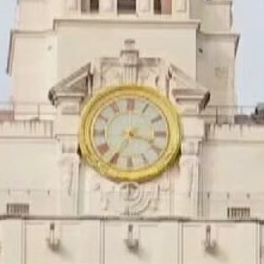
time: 3:35
